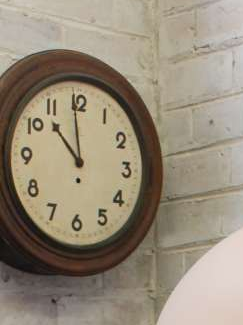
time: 10:59
